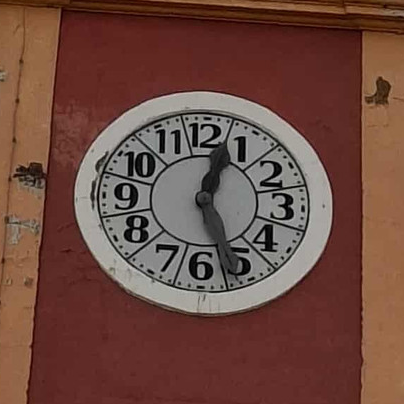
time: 12:26
